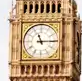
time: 11:14
